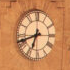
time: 6:41
